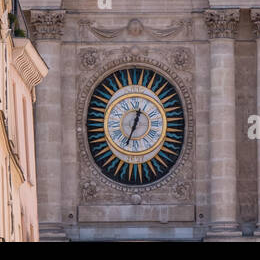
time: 12:34
